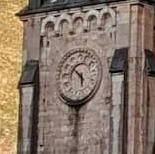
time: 5:51
